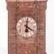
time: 4:01
